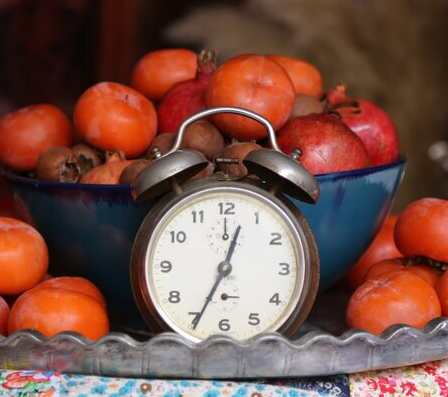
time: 12:34
